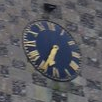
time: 6:34
